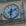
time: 6:10
